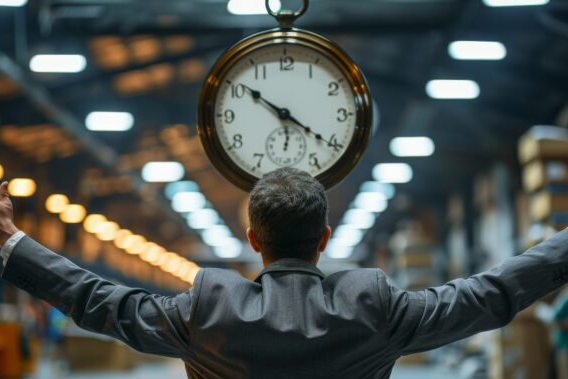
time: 10:20
